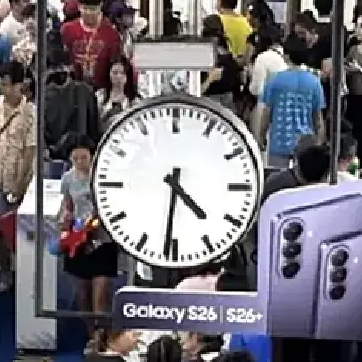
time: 4:31
